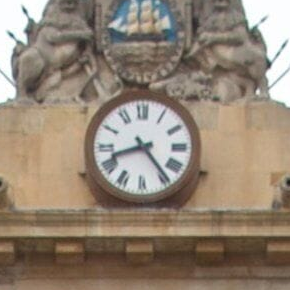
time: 8:23
